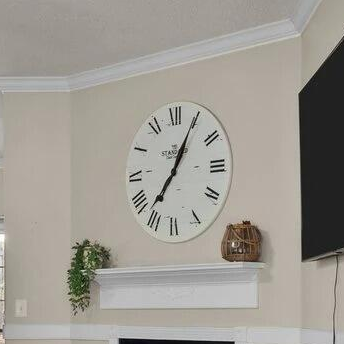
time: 7:04
